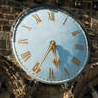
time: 5:34
